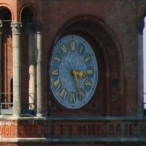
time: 3:26
